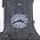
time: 3:41
